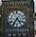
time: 4:35
